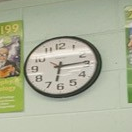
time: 6:14
